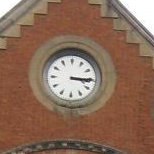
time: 3:14
